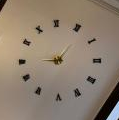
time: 9:06
